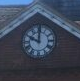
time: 10:00
